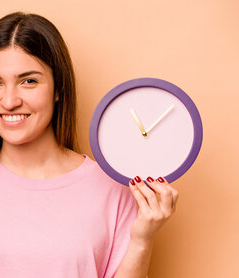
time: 11:07
